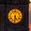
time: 5:31
